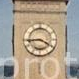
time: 3:43
